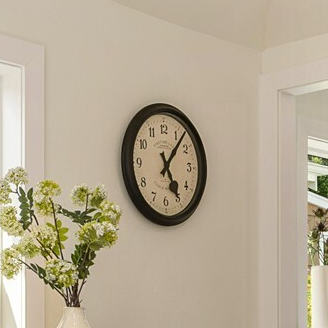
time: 5:06
